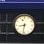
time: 8:32
